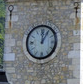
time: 12:05
